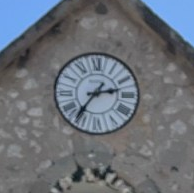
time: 2:36
